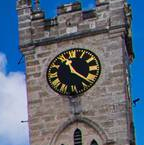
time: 11:21
